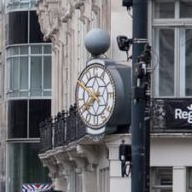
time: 7:40
